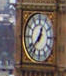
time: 12:37
